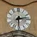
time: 2:30
